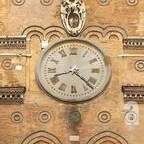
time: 8:22
